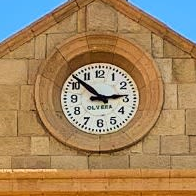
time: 2:52
